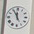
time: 11:55
